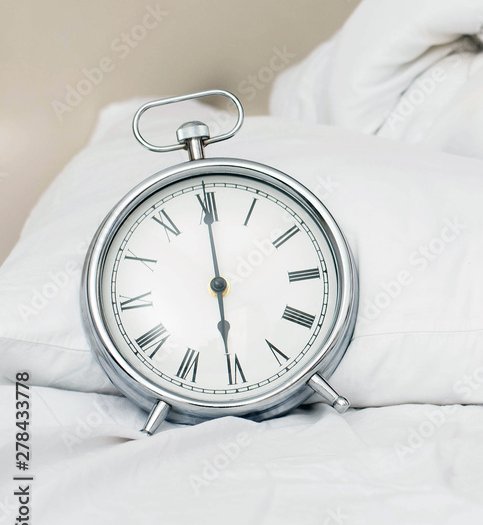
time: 6:00
